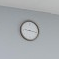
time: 9:17
